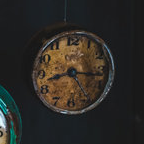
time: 8:16
